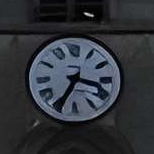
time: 3:35
